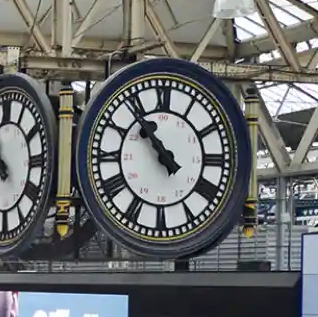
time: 10:53
